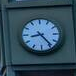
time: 8:23
